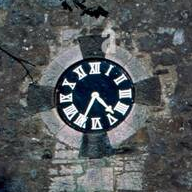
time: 4:34
